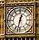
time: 12:32
